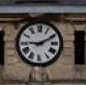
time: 9:10
